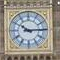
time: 10:14
